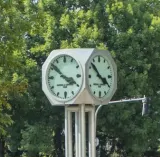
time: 3:52
